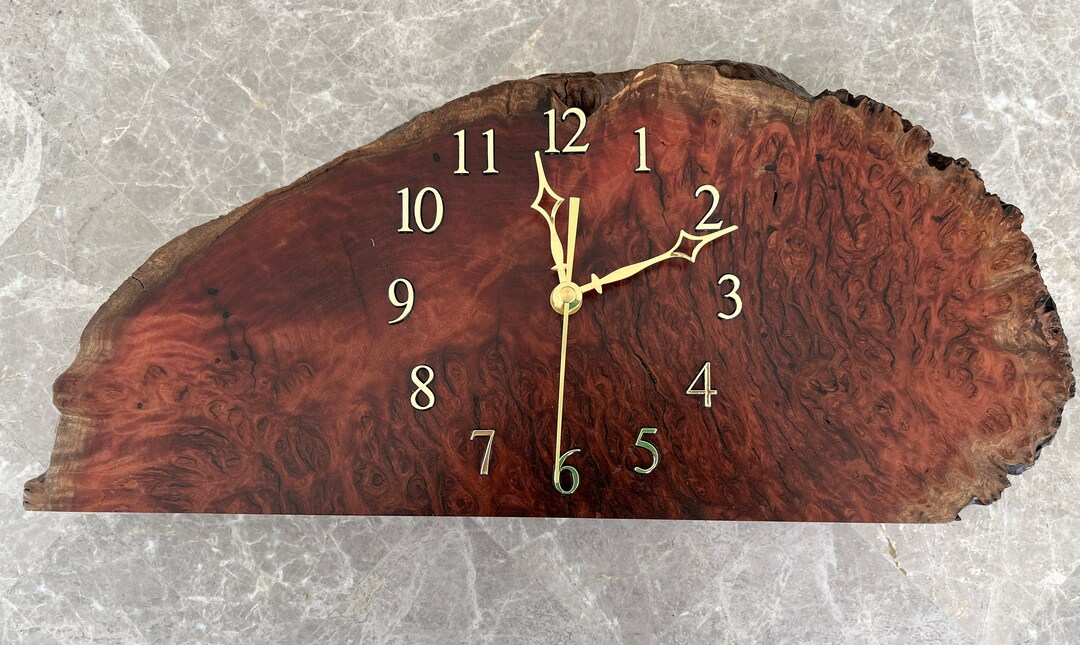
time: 12:11
